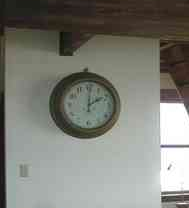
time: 2:01
